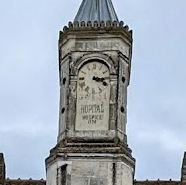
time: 3:13
